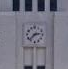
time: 2:38
